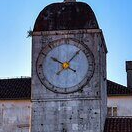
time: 10:07
